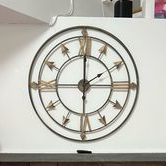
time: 2:00
